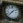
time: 1:37
